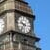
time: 9:36
